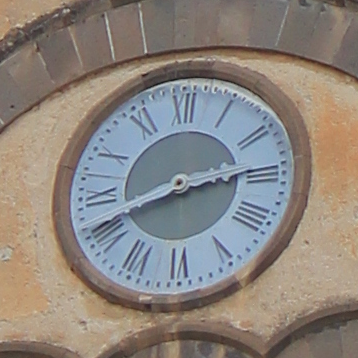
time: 2:41
